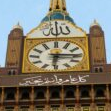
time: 6:15
